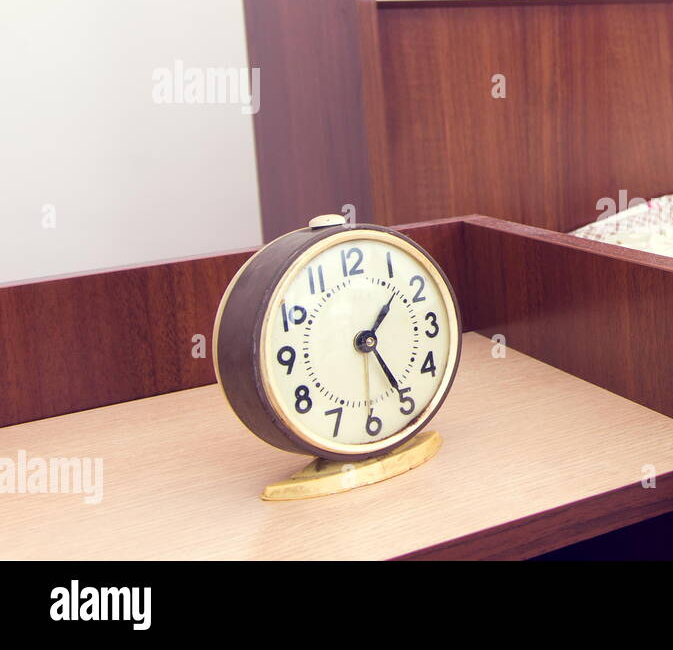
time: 1:25
